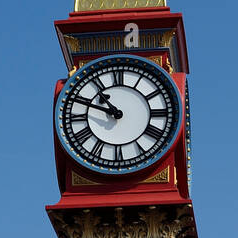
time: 10:48
